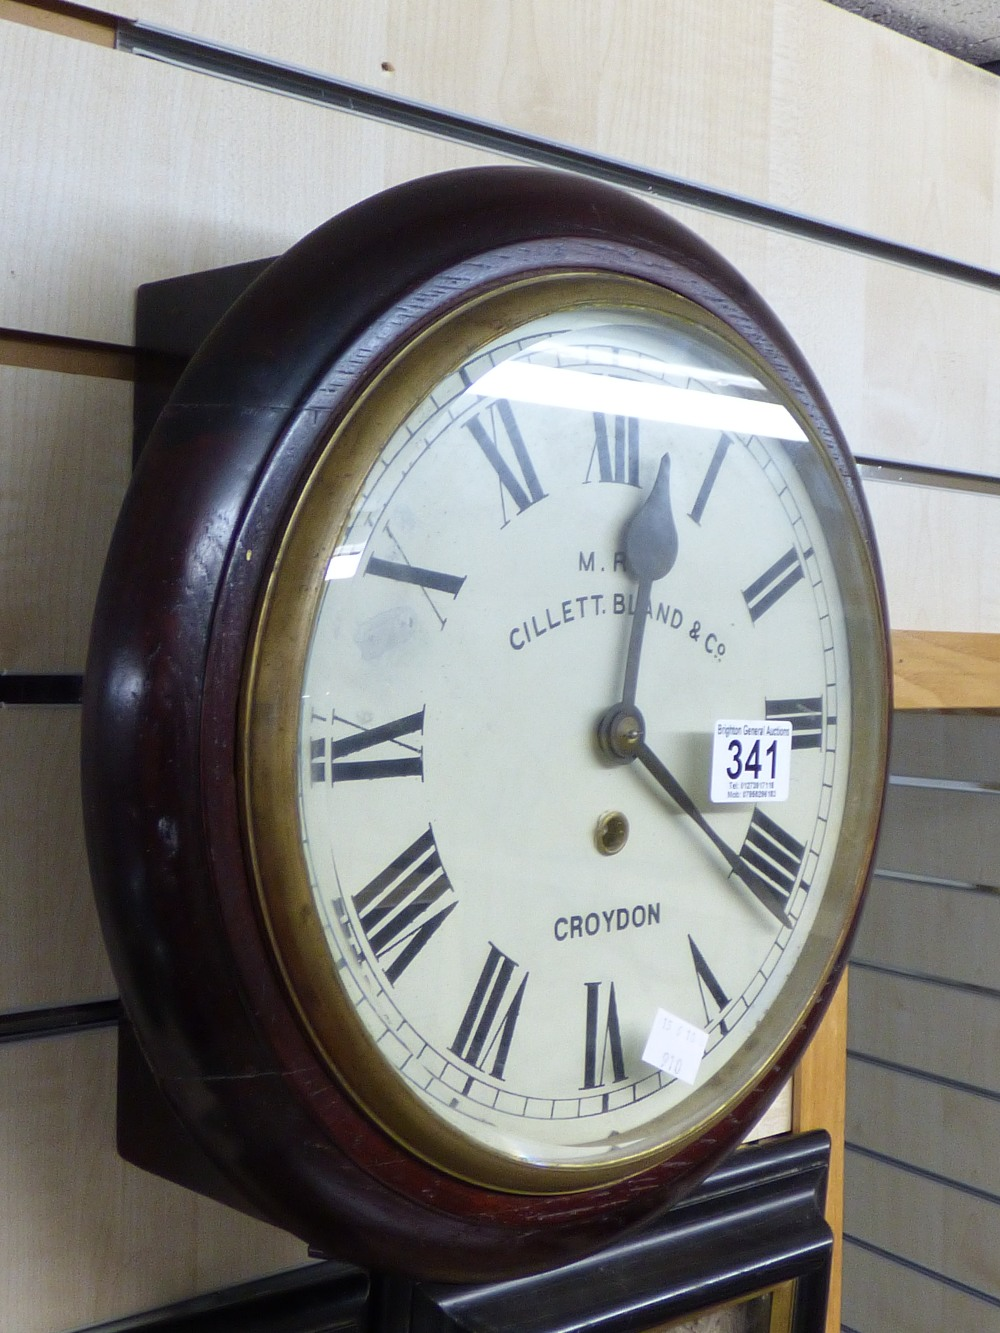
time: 12:21
